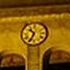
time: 10:34
